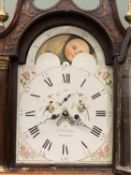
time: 8:20
